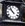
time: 10:52
